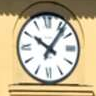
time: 10:06
